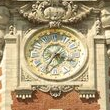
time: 3:35
